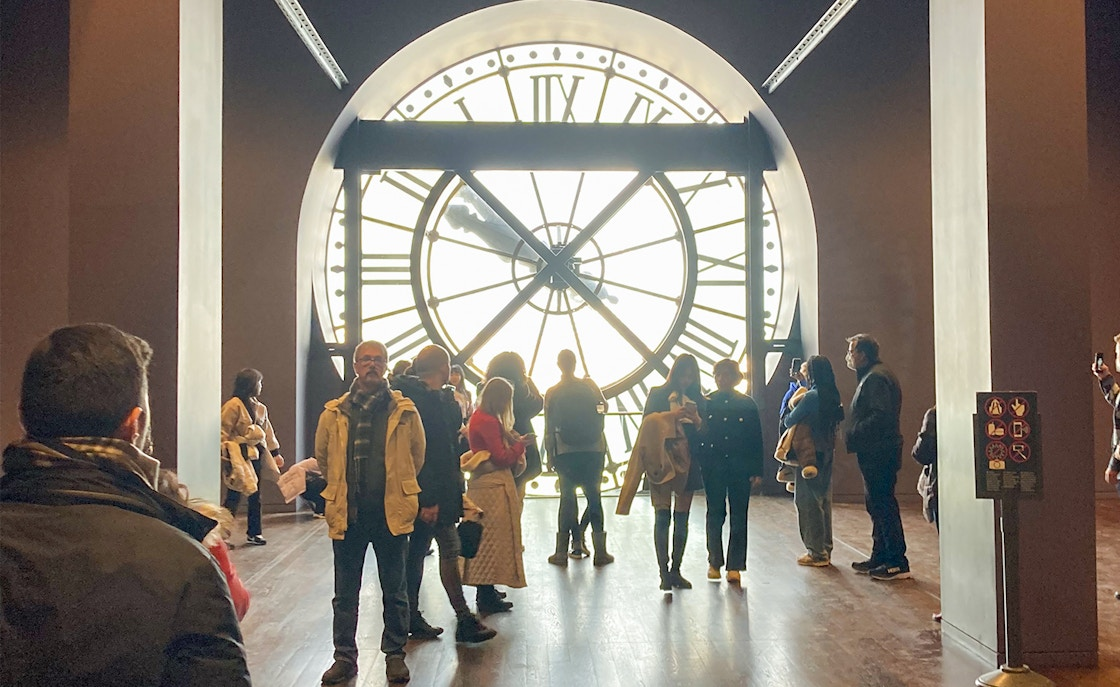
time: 10:07
